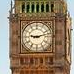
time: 9:12
